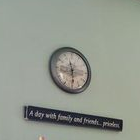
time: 11:29
